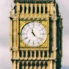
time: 11:22
